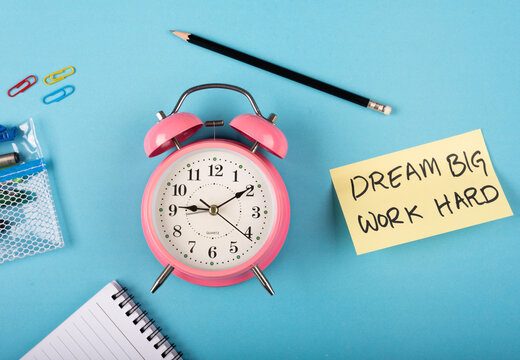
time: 9:09
